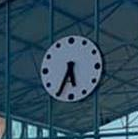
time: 5:34
